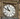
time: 10:48
